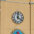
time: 4:01
